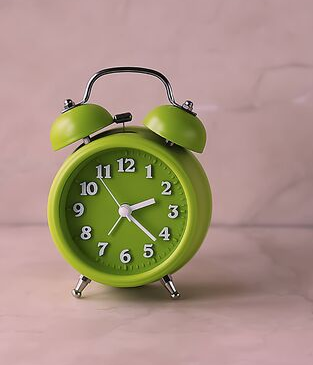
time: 2:21
